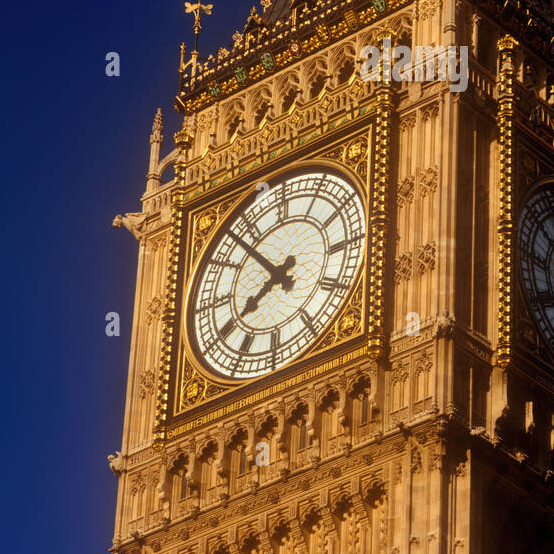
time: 7:53
